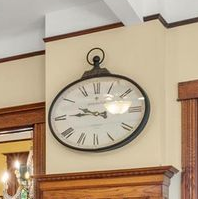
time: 9:45
